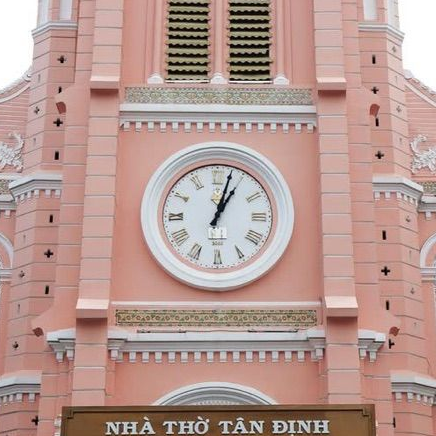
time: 1:02
